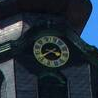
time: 3:40
